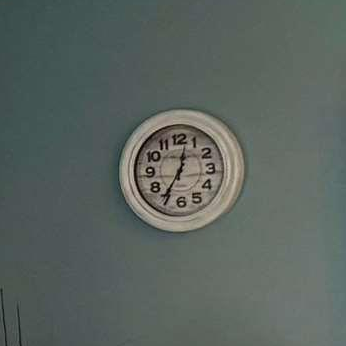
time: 12:35
